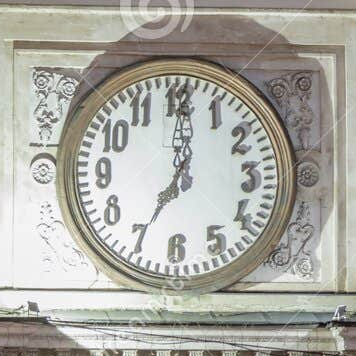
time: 7:00
